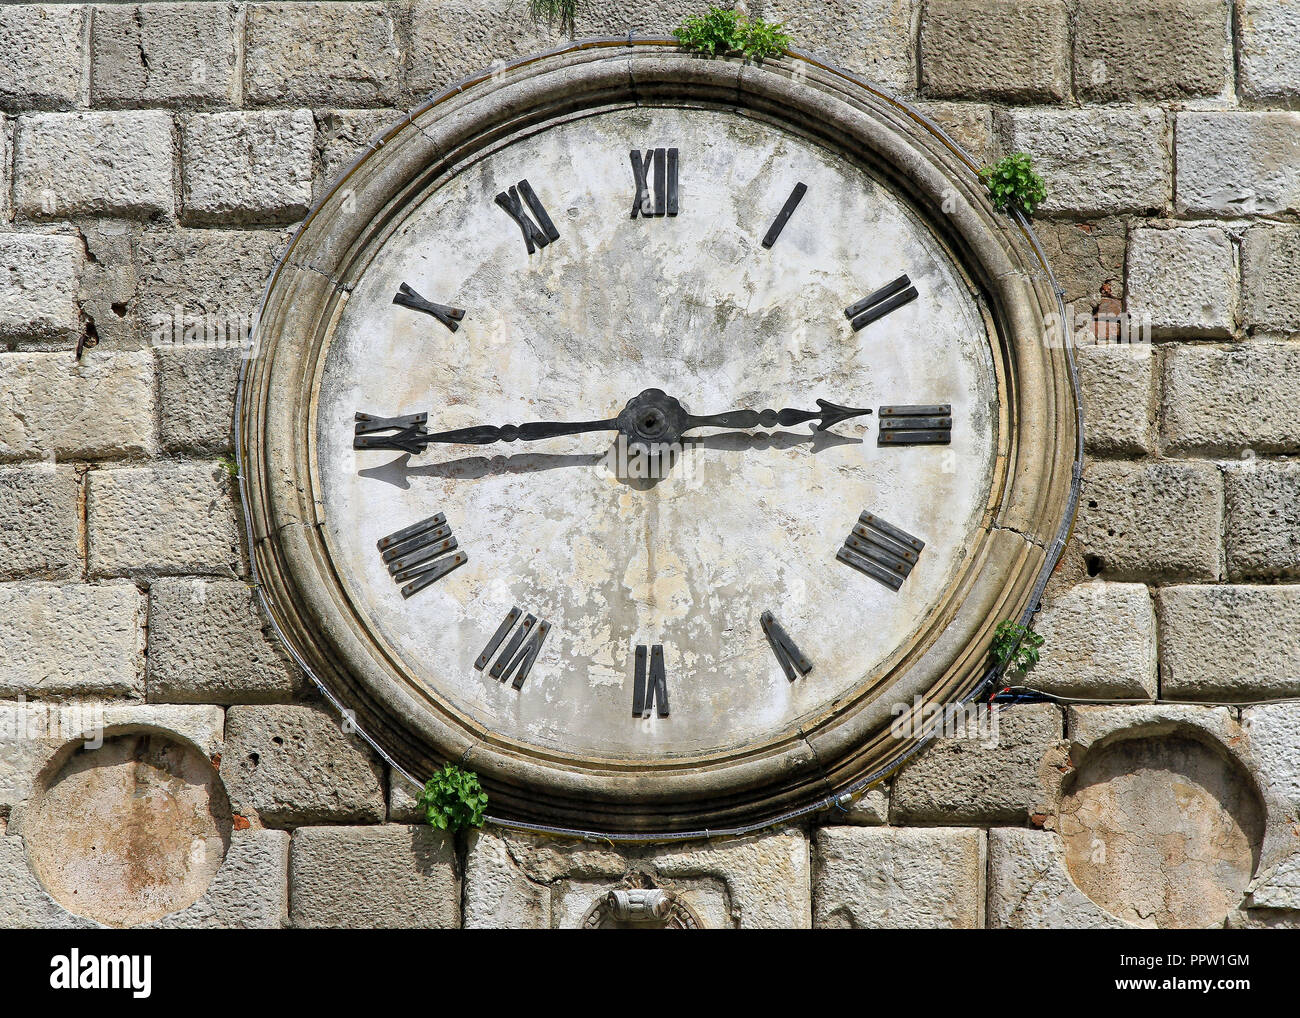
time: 2:44
